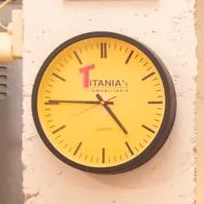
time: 4:45
